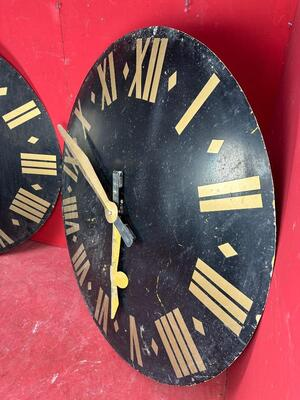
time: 5:49
